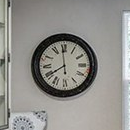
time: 7:58
